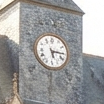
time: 5:15
